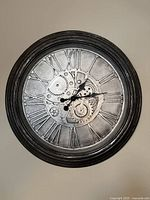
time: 1:13
